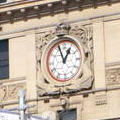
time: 12:57
